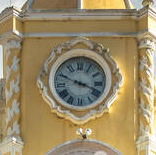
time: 3:48
